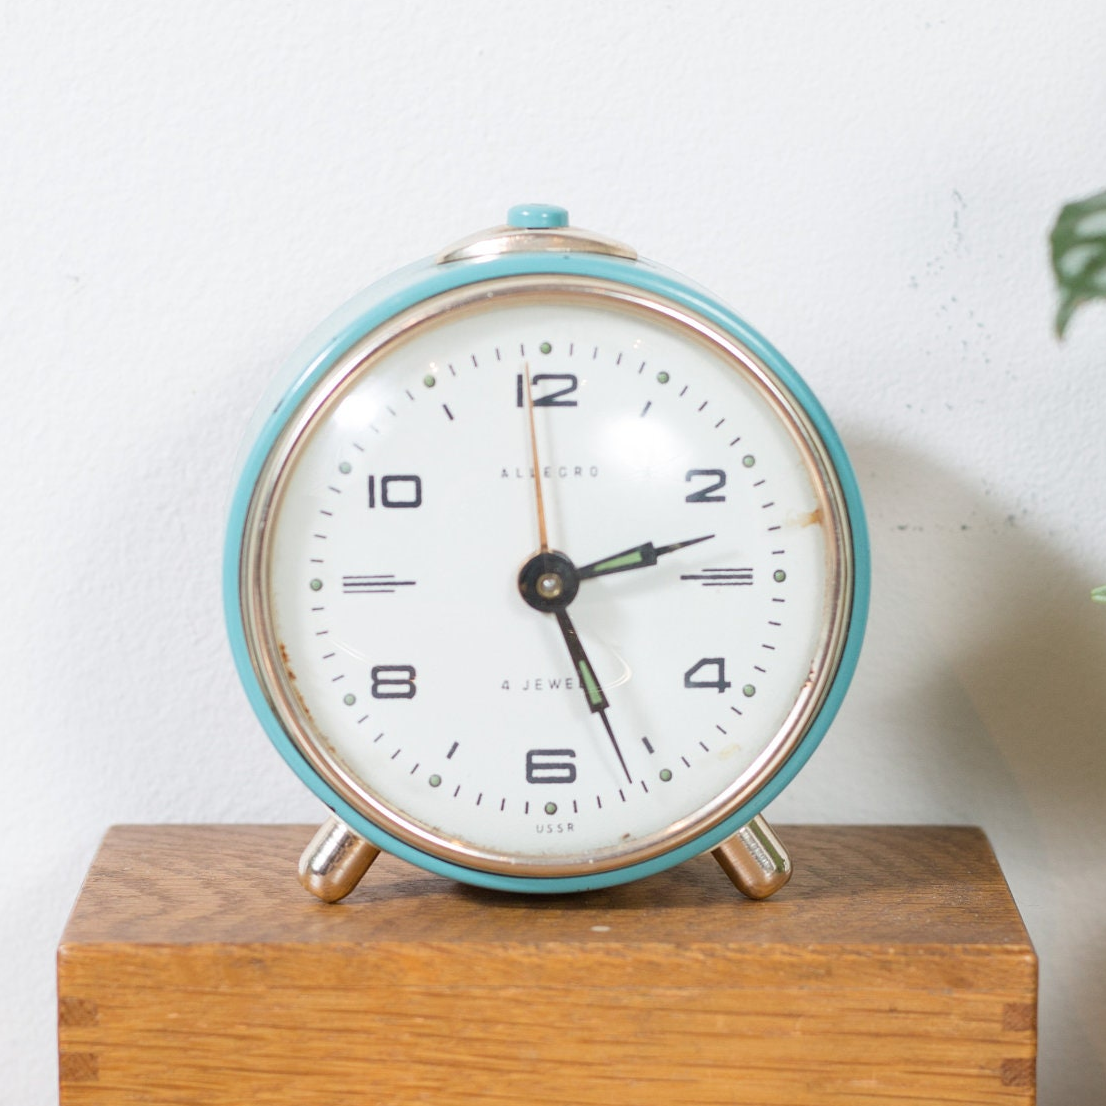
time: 2:26
